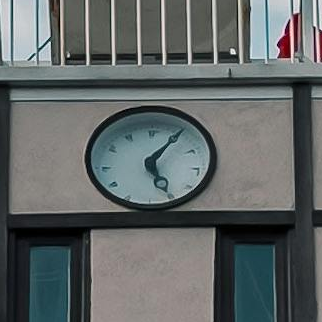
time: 5:05
